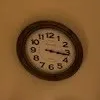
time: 3:16
